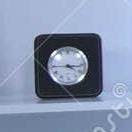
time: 4:16
